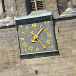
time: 1:24
